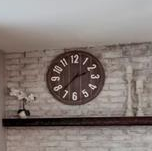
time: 2:37
